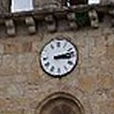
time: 3:12
